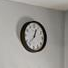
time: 12:37
